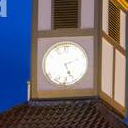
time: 5:11
